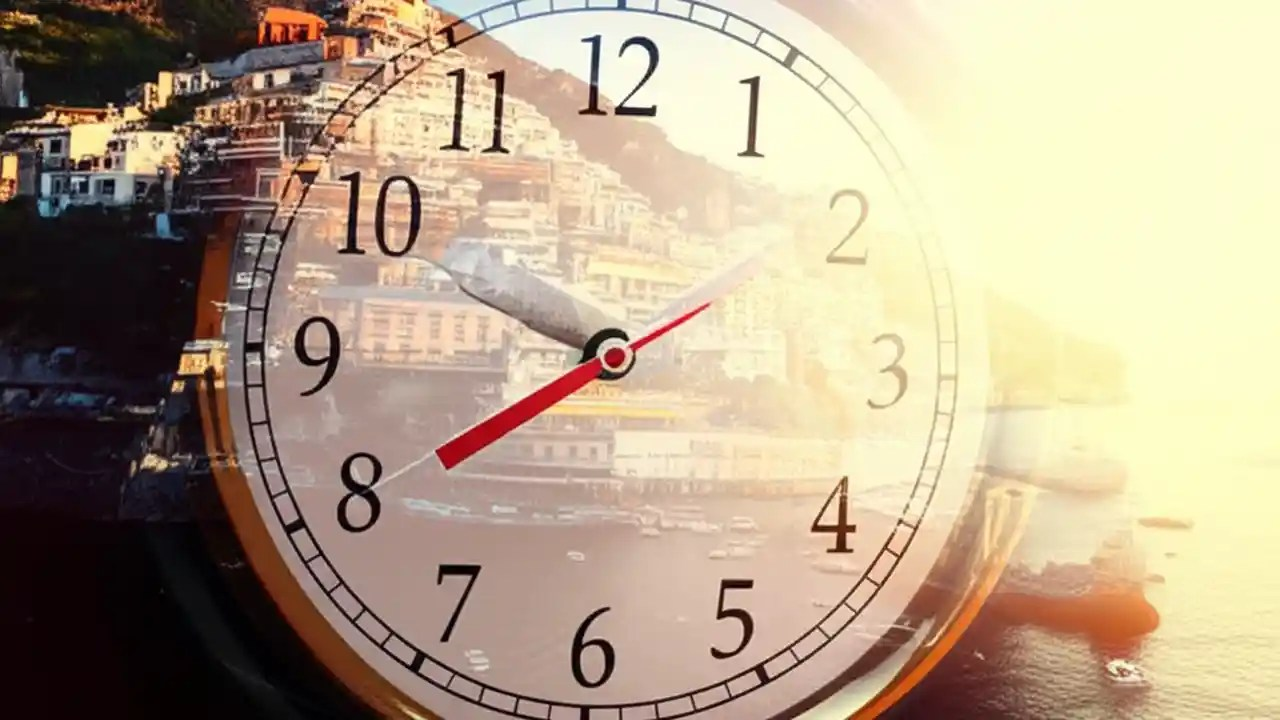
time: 7:48
